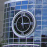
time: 2:58
